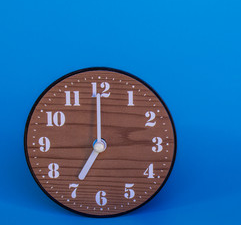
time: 6:59
